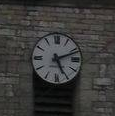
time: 5:11
